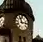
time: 11:13
